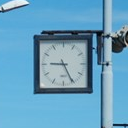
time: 9:25
